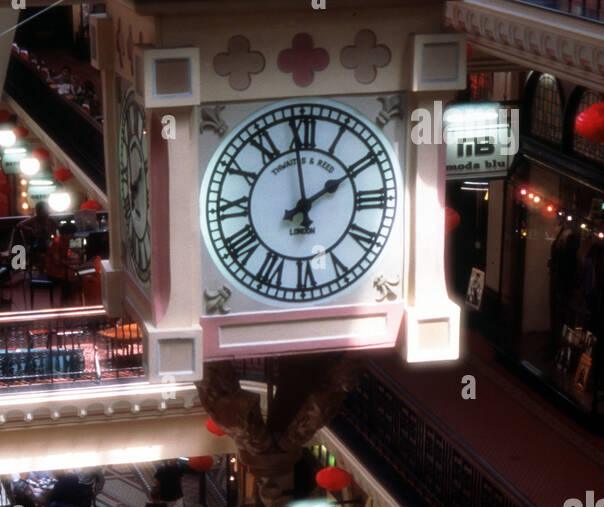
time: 1:59
